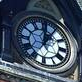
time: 12:05
